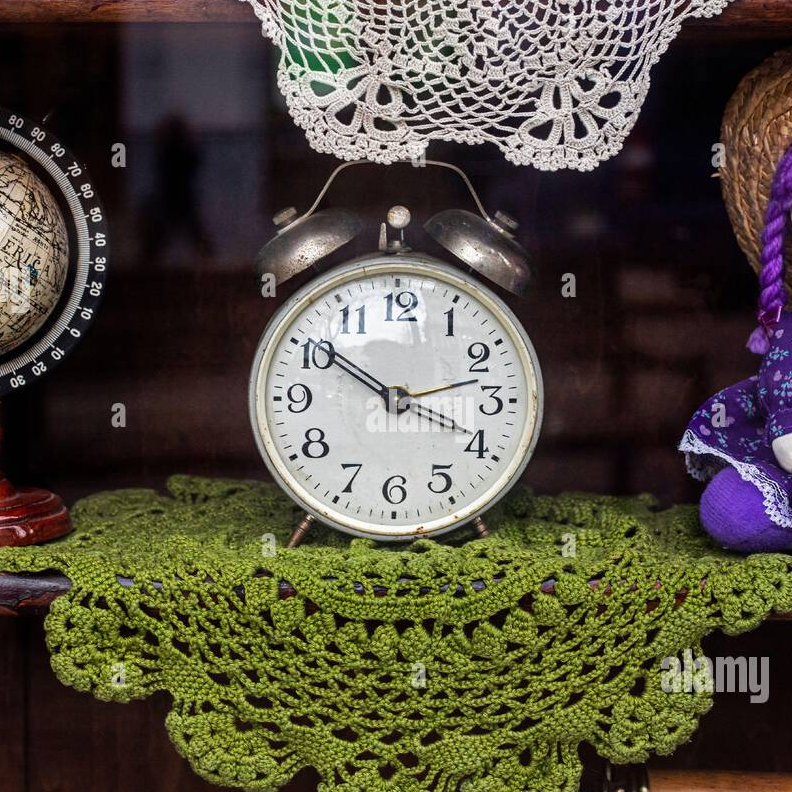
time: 3:50
